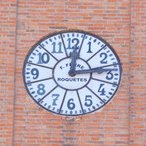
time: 12:13
